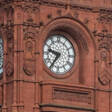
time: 9:36
